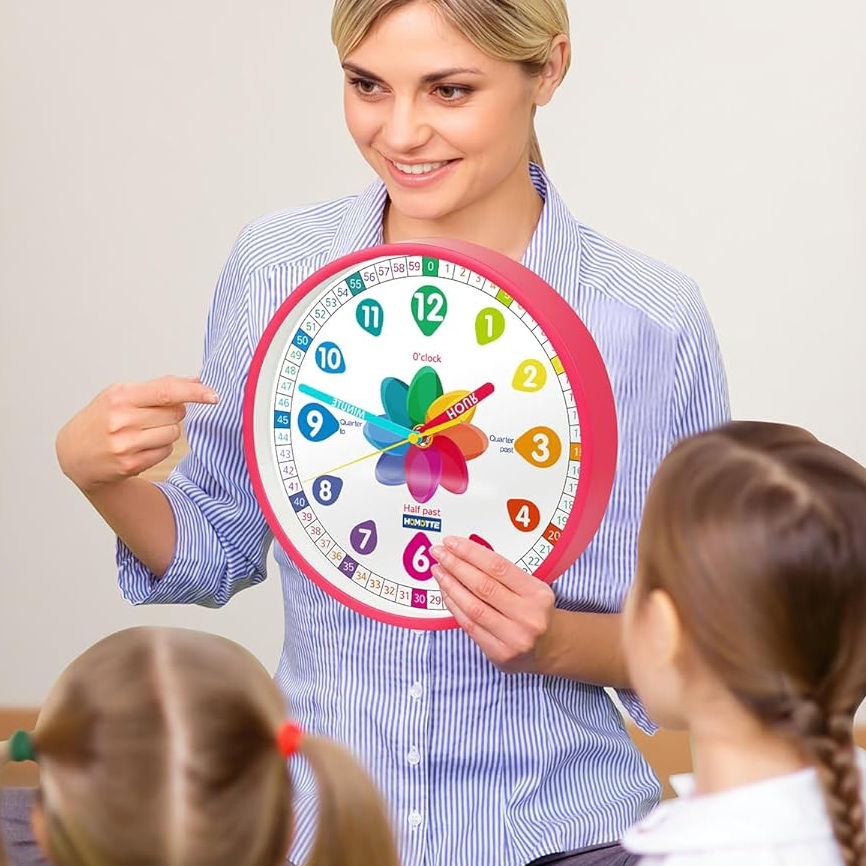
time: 1:47
